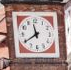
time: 11:39
